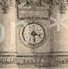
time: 3:28
